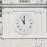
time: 11:00
